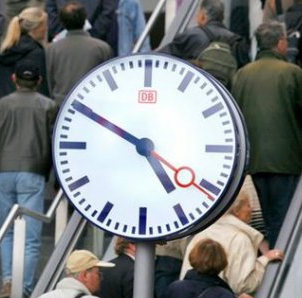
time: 4:50
